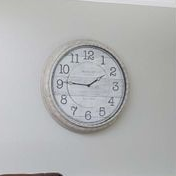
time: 1:46
